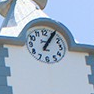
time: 1:05
